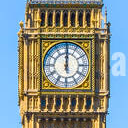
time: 12:00
